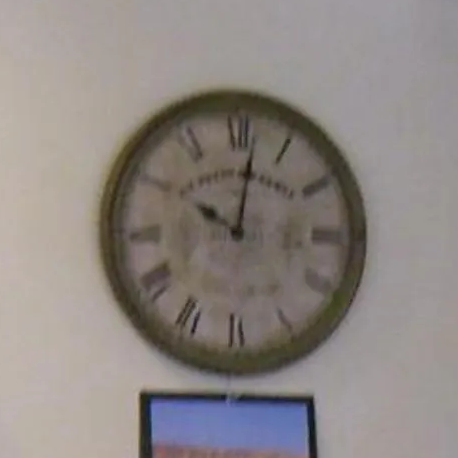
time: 10:01
